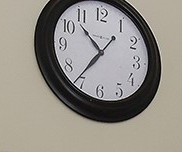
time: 10:36
